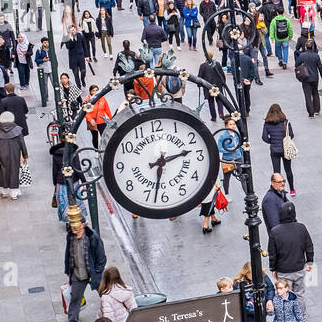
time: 2:32
